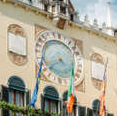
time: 4:40
